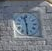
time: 11:29
